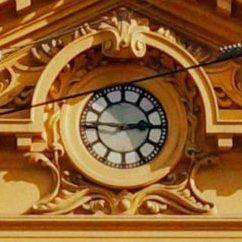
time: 2:45
